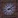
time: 3:09
